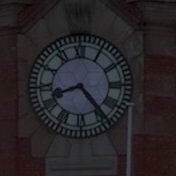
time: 8:23
